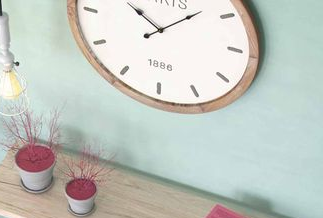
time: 10:07
